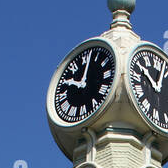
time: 10:02
